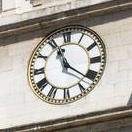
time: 11:21
